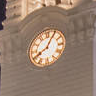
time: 8:04
